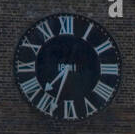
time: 7:33
